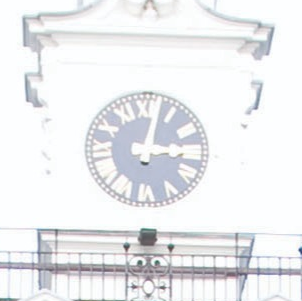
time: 3:02
